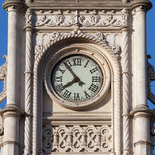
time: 7:53
